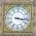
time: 3:16
